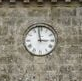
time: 2:58
